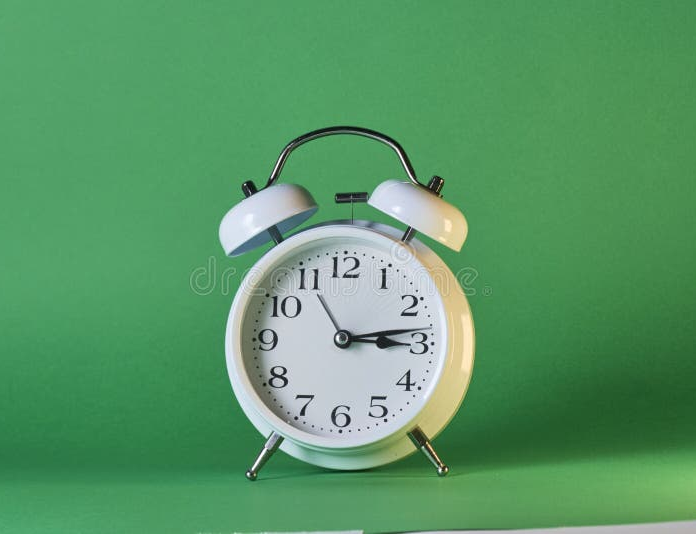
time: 3:13
